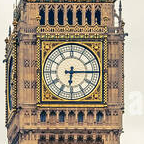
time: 6:14
